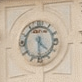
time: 4:30
